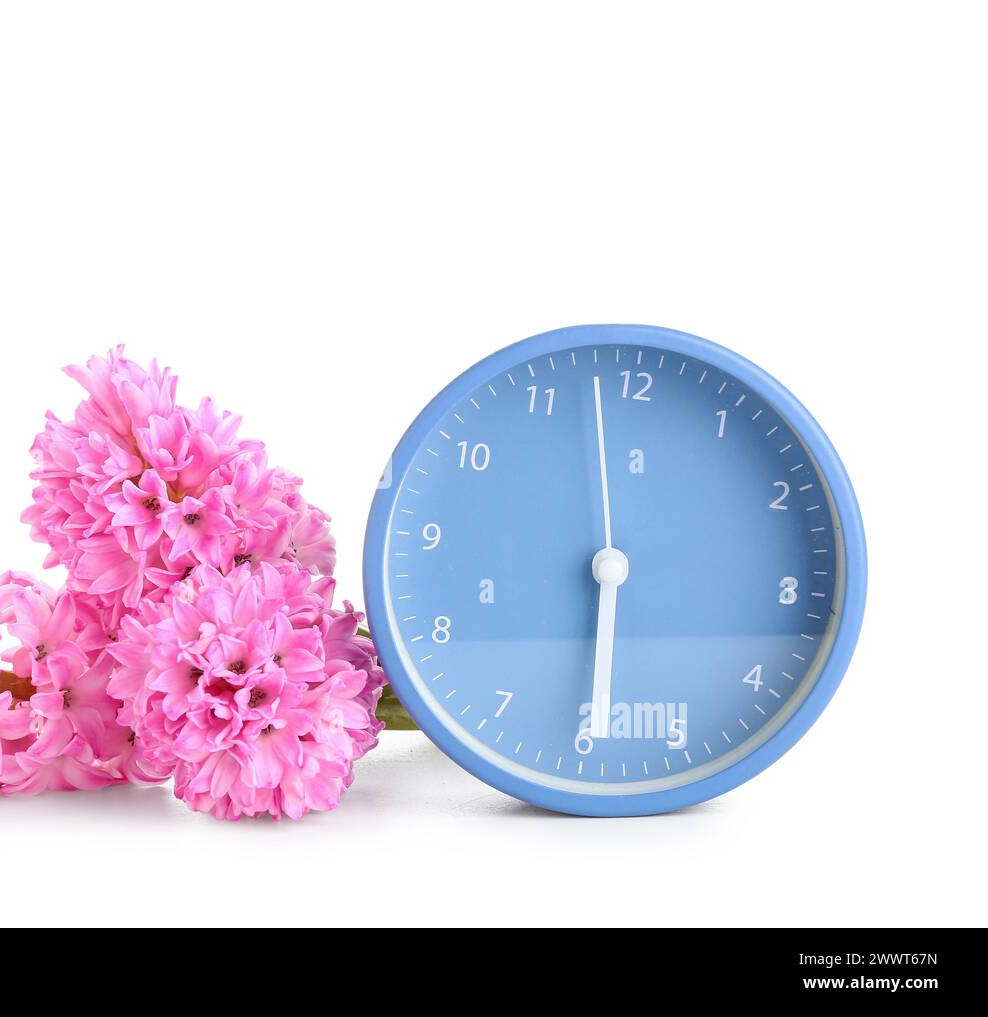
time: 5:58
